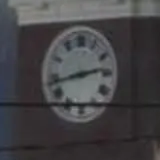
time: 2:43
